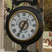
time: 1:34
